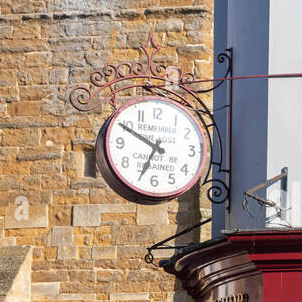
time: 6:49
